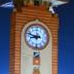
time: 8:47
